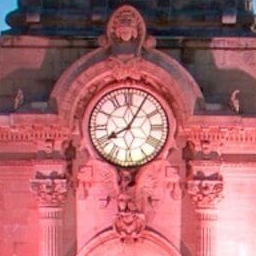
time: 8:05
